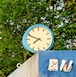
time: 7:48
